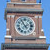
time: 1:54
